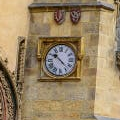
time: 10:22
